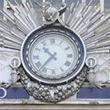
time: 10:37
